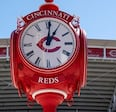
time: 1:01
